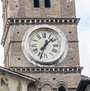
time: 1:33
